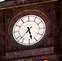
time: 5:37
